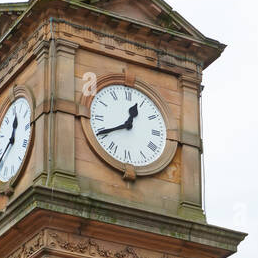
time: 12:40
